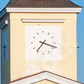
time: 7:18
